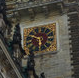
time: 5:49
